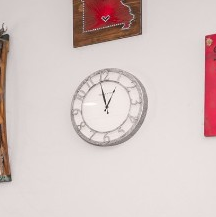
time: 12:58
